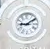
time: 9:09
